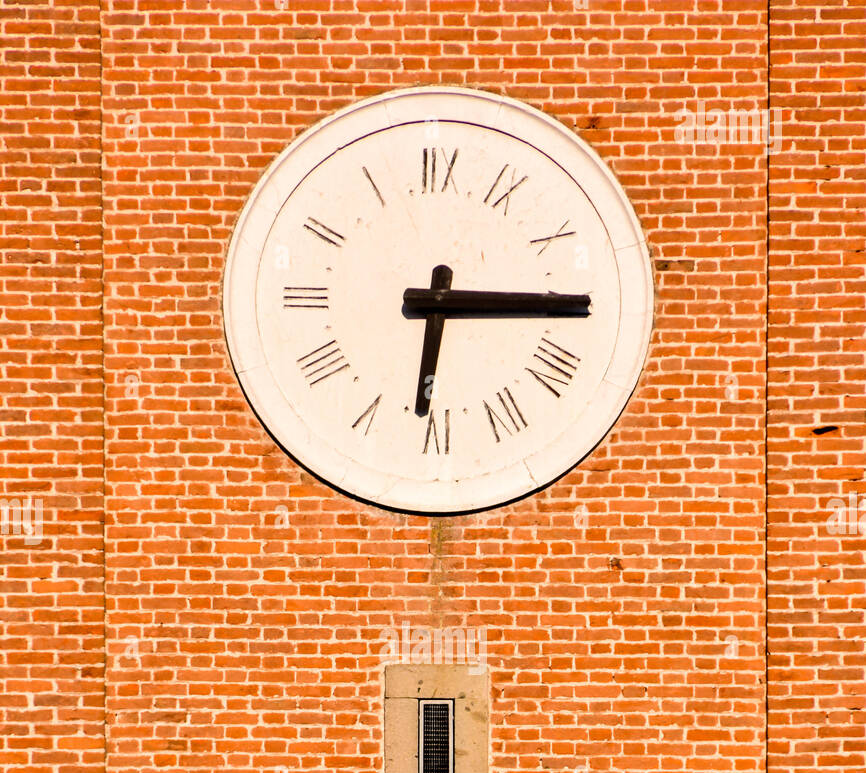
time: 6:15
